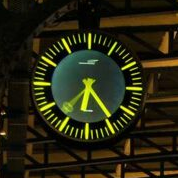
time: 6:24
